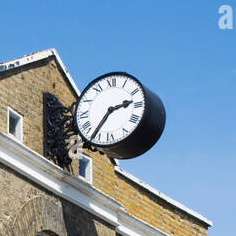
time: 2:36
